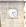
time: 2:25
